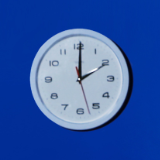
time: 2:00
